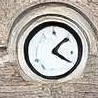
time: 4:07
